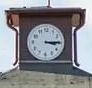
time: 3:14
